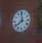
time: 7:59
